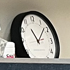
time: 11:07
